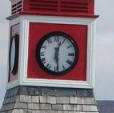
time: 12:28
